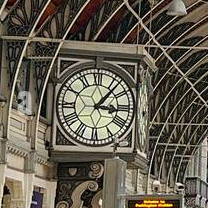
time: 3:06
